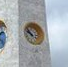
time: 9:51
